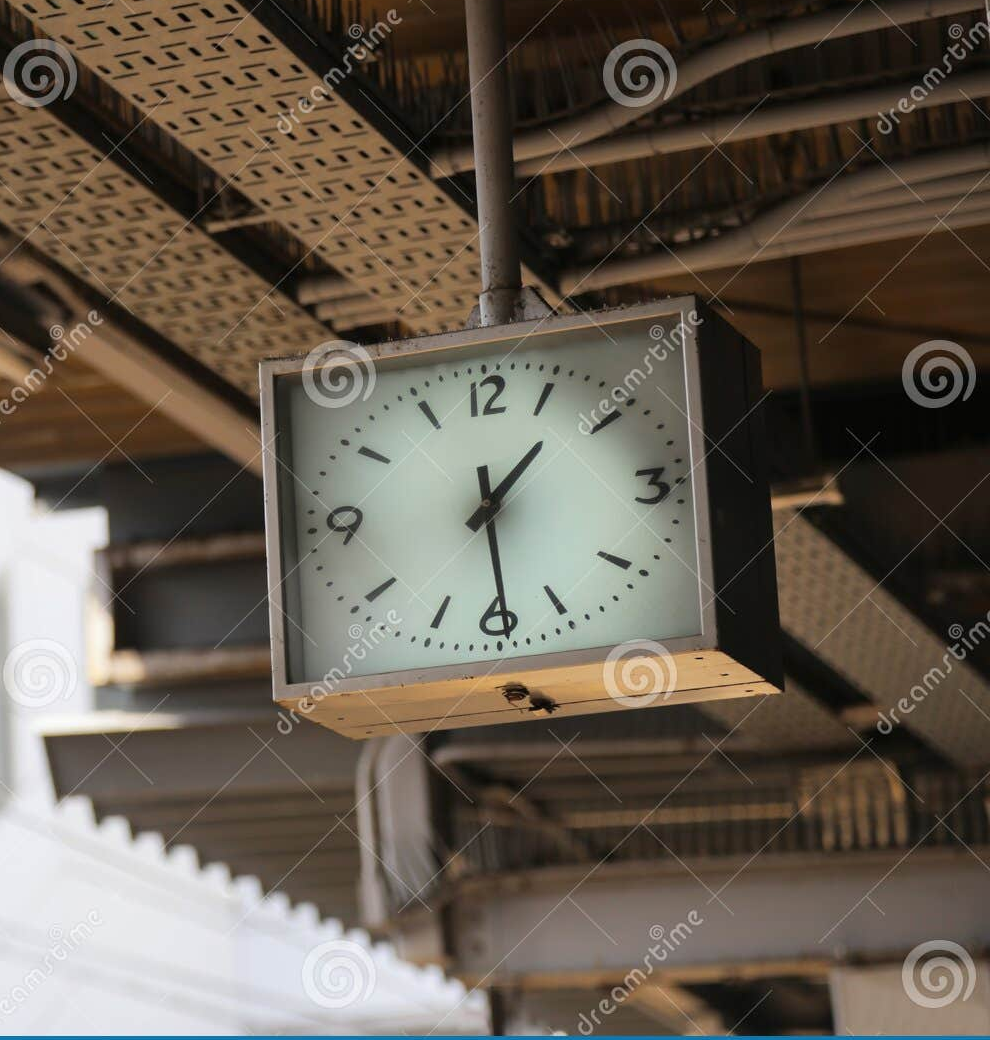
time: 1:29
